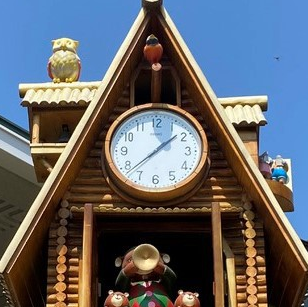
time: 1:38
